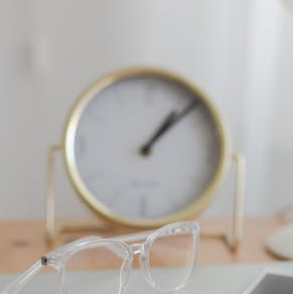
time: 1:07
